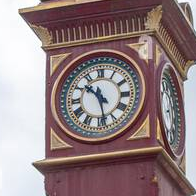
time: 10:28
